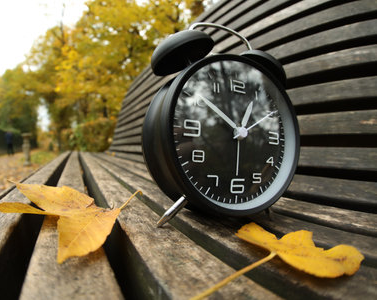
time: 12:51
